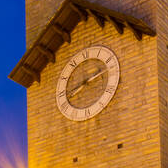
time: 8:12
